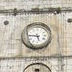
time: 5:45
